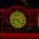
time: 9:23
